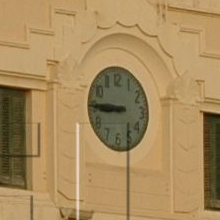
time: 8:45
